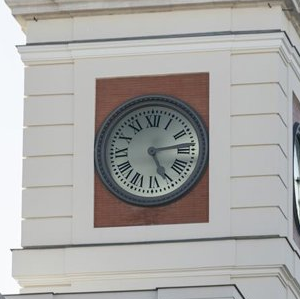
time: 5:13
